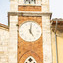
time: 5:01
